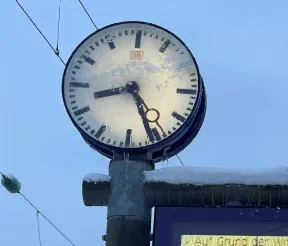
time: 8:25
